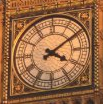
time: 4:09
